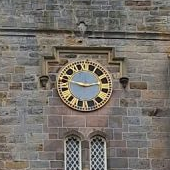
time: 2:46
